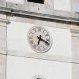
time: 6:18
